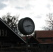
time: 8:12
